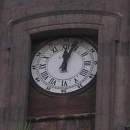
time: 12:03
